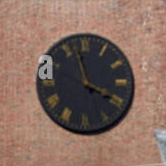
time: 3:57
